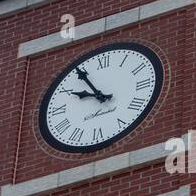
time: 9:54
